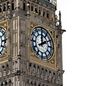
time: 1:59
